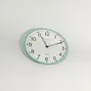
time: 11:10
